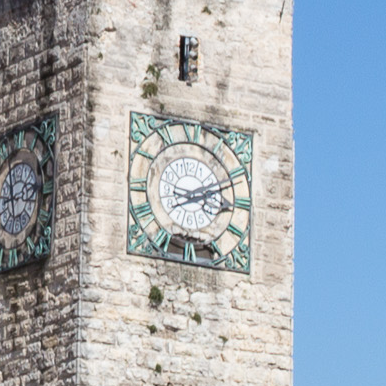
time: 3:11
